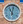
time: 11:02
